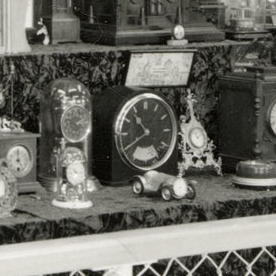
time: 10:40
